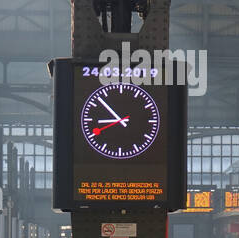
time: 8:52
